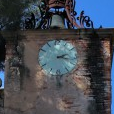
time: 2:17
